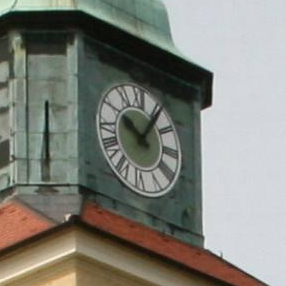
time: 10:05
